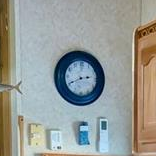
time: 2:40
